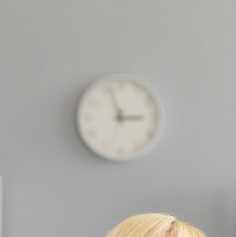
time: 2:56
